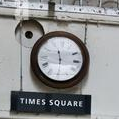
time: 11:29
